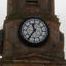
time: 11:35
